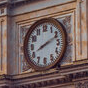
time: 8:11
